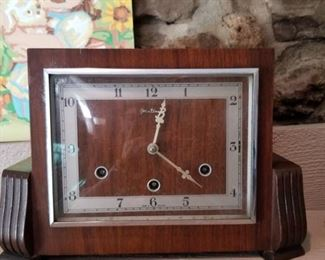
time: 12:22
